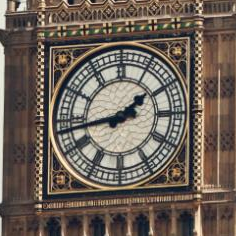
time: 1:43
